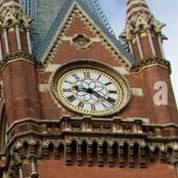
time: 9:21
